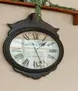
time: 1:27
